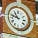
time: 10:47
